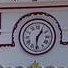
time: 1:31
